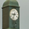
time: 8:33
